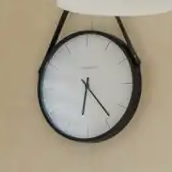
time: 6:23
